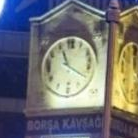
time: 11:20
